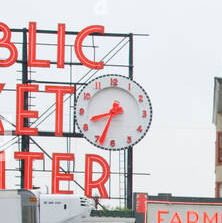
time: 8:33
